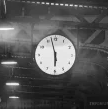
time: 5:57
